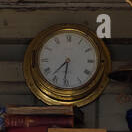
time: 7:31
